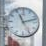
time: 11:12
